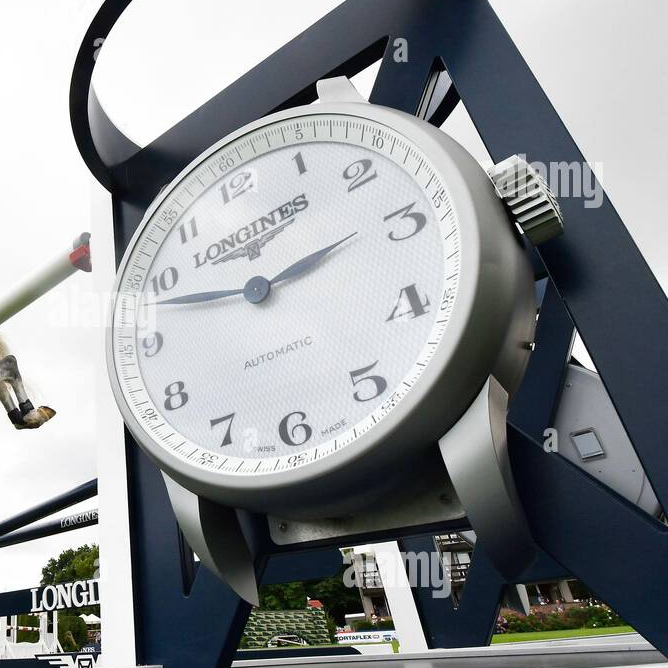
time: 2:46
